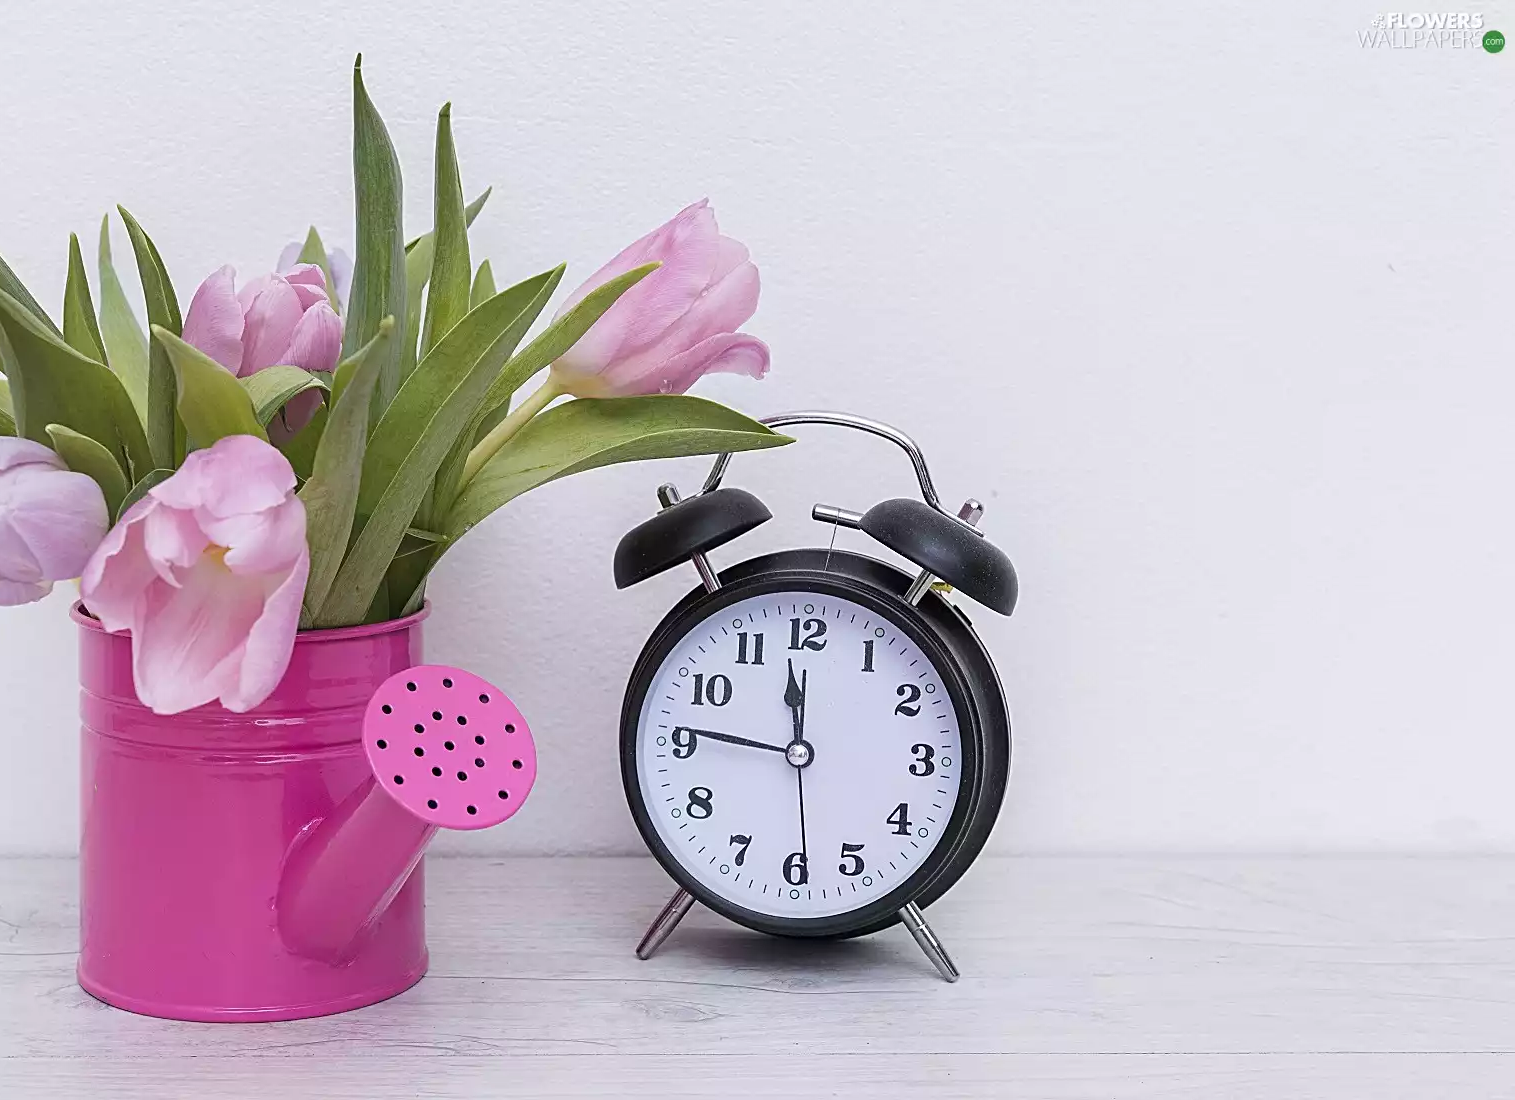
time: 11:46
